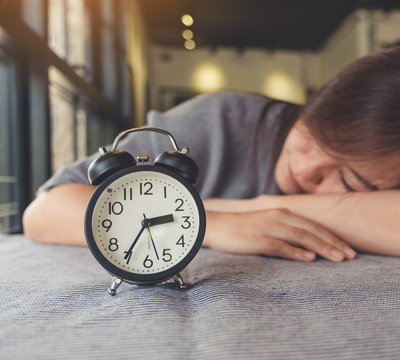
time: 2:35
